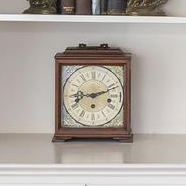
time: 9:12
